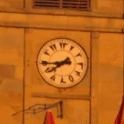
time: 7:43
